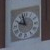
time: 9:57
